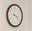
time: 3:21
